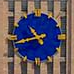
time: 10:42
